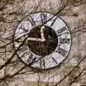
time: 11:46
